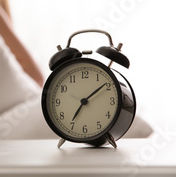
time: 7:09
